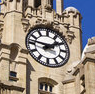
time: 1:46
